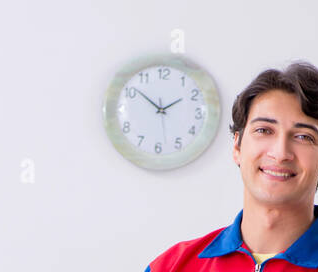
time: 1:51
